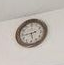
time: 5:43
